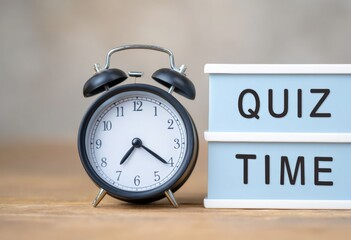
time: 7:20
